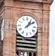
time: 1:09
